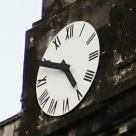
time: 4:49
